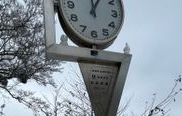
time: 12:05
